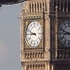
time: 8:48
